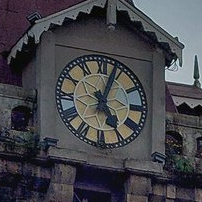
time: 5:03
